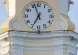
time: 6:56
